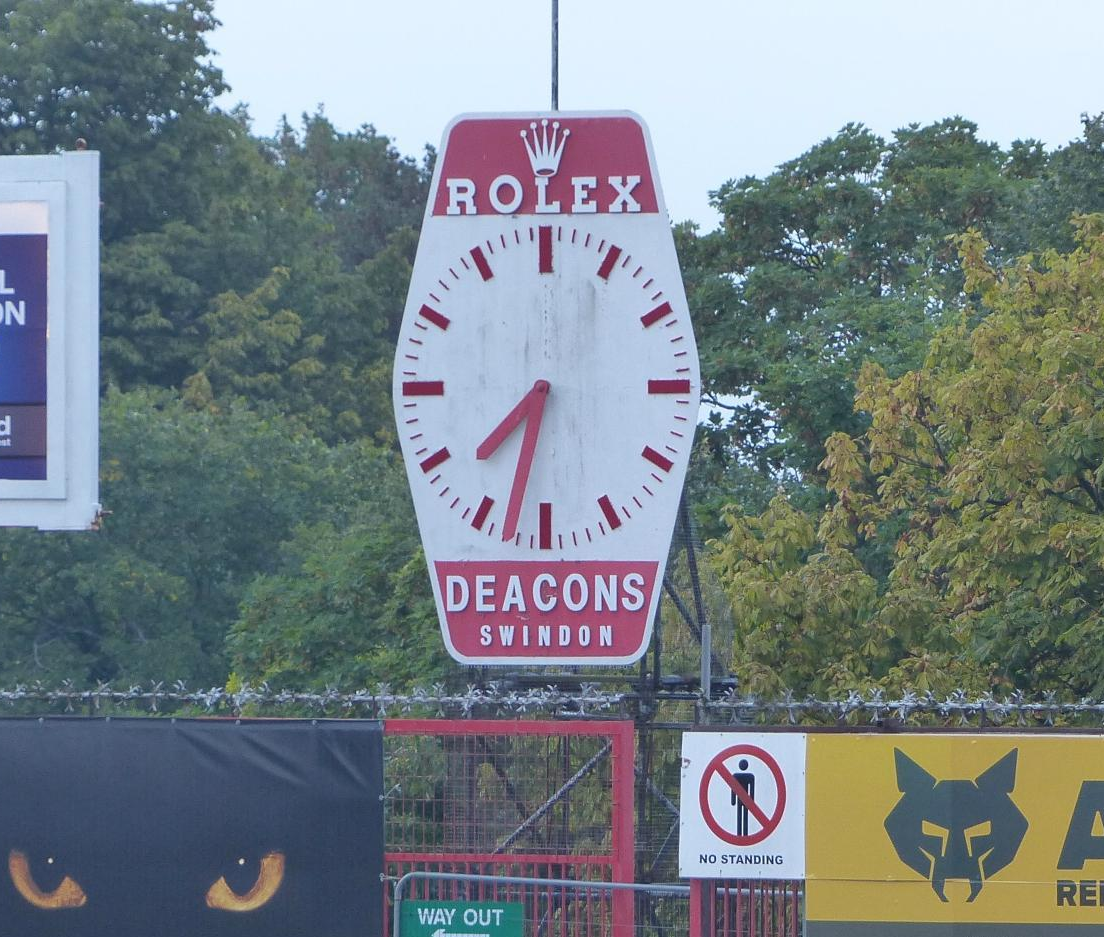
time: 7:32
